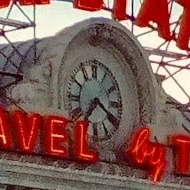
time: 7:20
